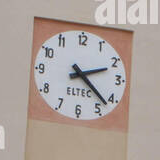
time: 2:22
